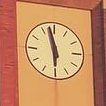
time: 5:57
